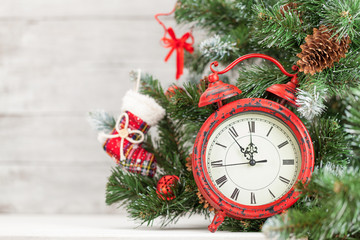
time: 11:53
